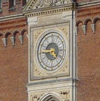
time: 4:45
